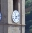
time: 7:12
